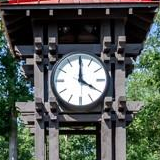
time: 4:00
